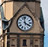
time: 3:58
